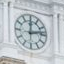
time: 12:13
